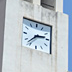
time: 2:37
